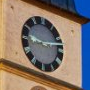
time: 9:12
